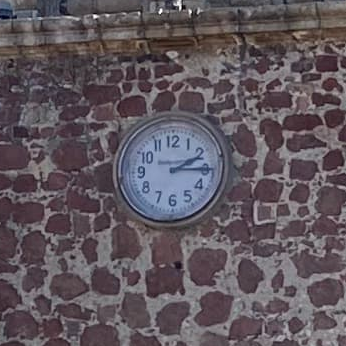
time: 2:15
